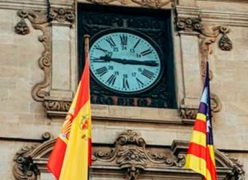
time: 9:14
